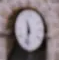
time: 11:32
